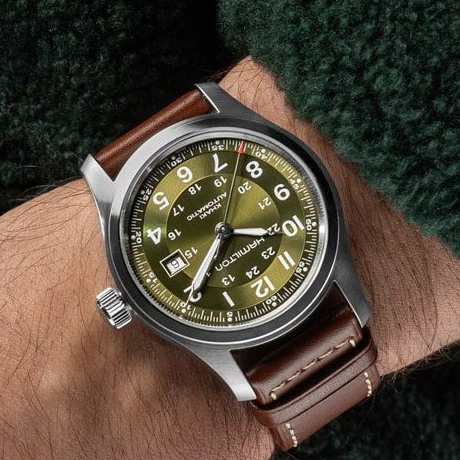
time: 3:35
